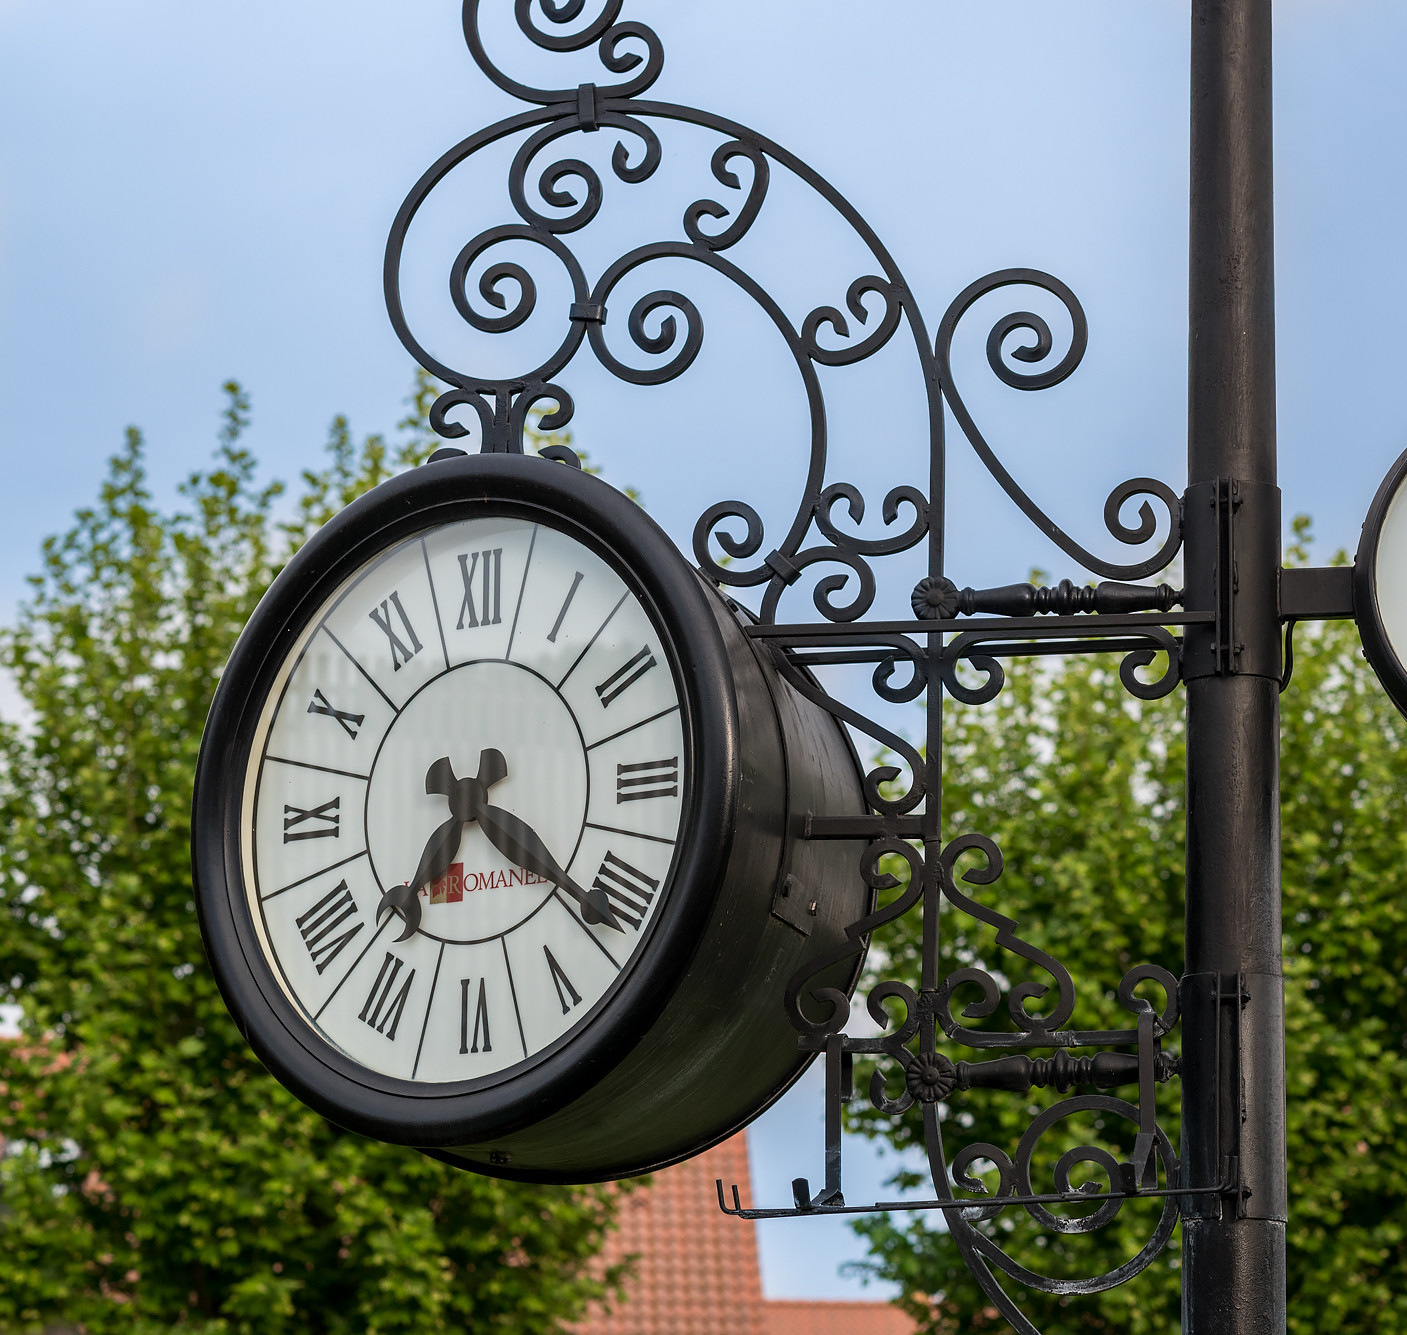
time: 7:21
